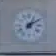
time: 1:09
